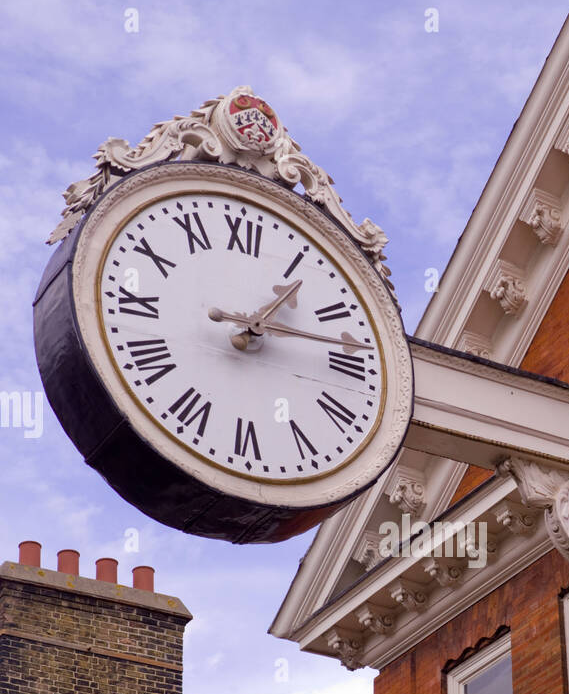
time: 1:13
